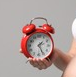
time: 1:25
